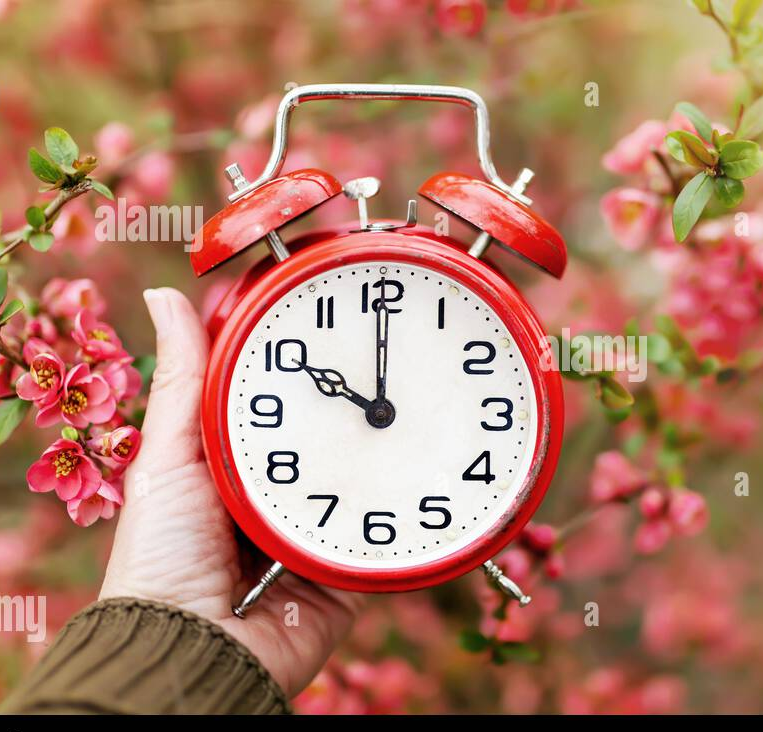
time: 10:00
